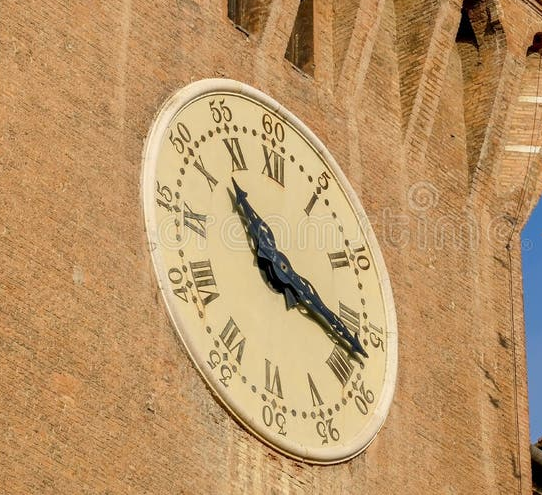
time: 10:17
